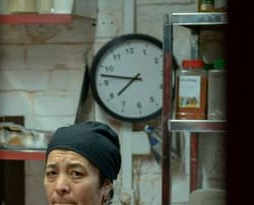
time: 7:47
